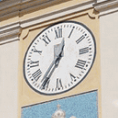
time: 12:35
